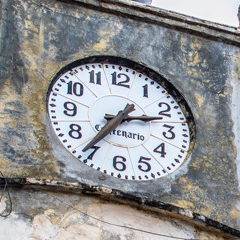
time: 2:36
